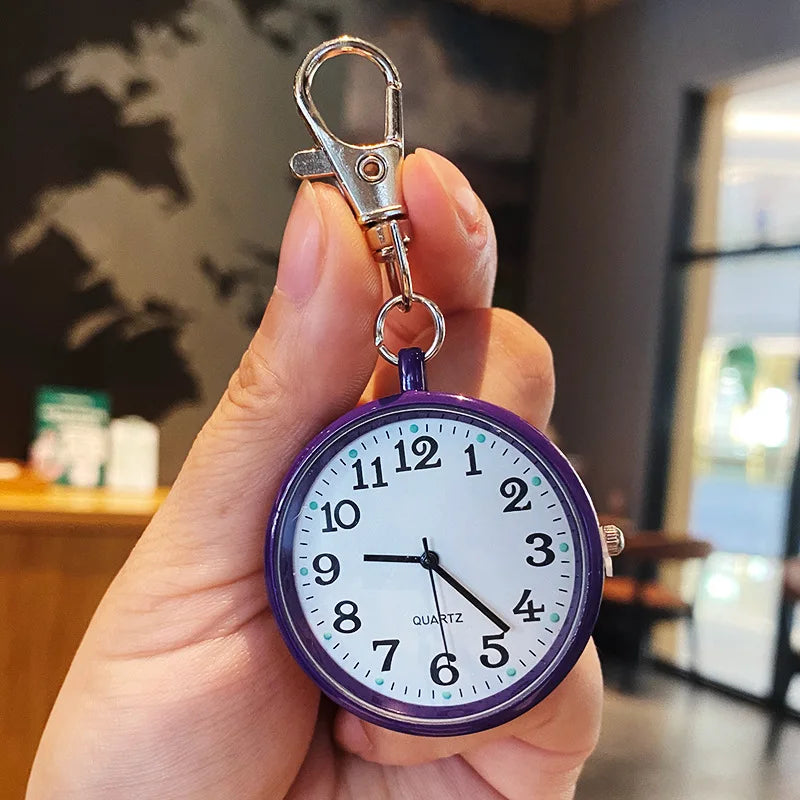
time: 9:22
